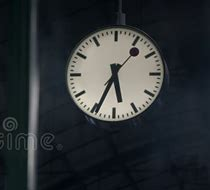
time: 5:34
